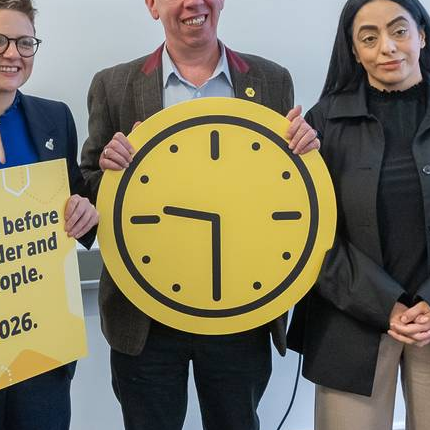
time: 9:29
